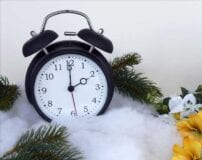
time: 2:00
